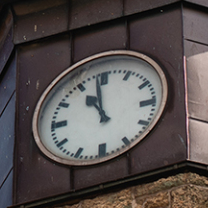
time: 10:58
